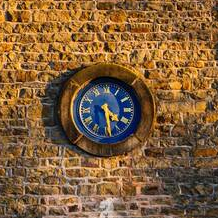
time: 4:28
